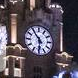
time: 5:53
